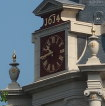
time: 10:42
